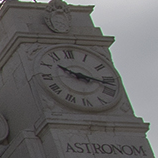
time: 10:17
